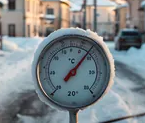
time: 7:07
